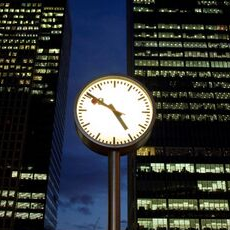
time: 4:50
